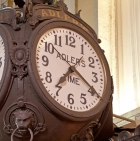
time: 7:19
